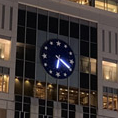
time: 6:19
